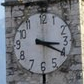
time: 3:20
